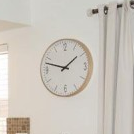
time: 1:47
